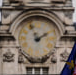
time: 1:56
